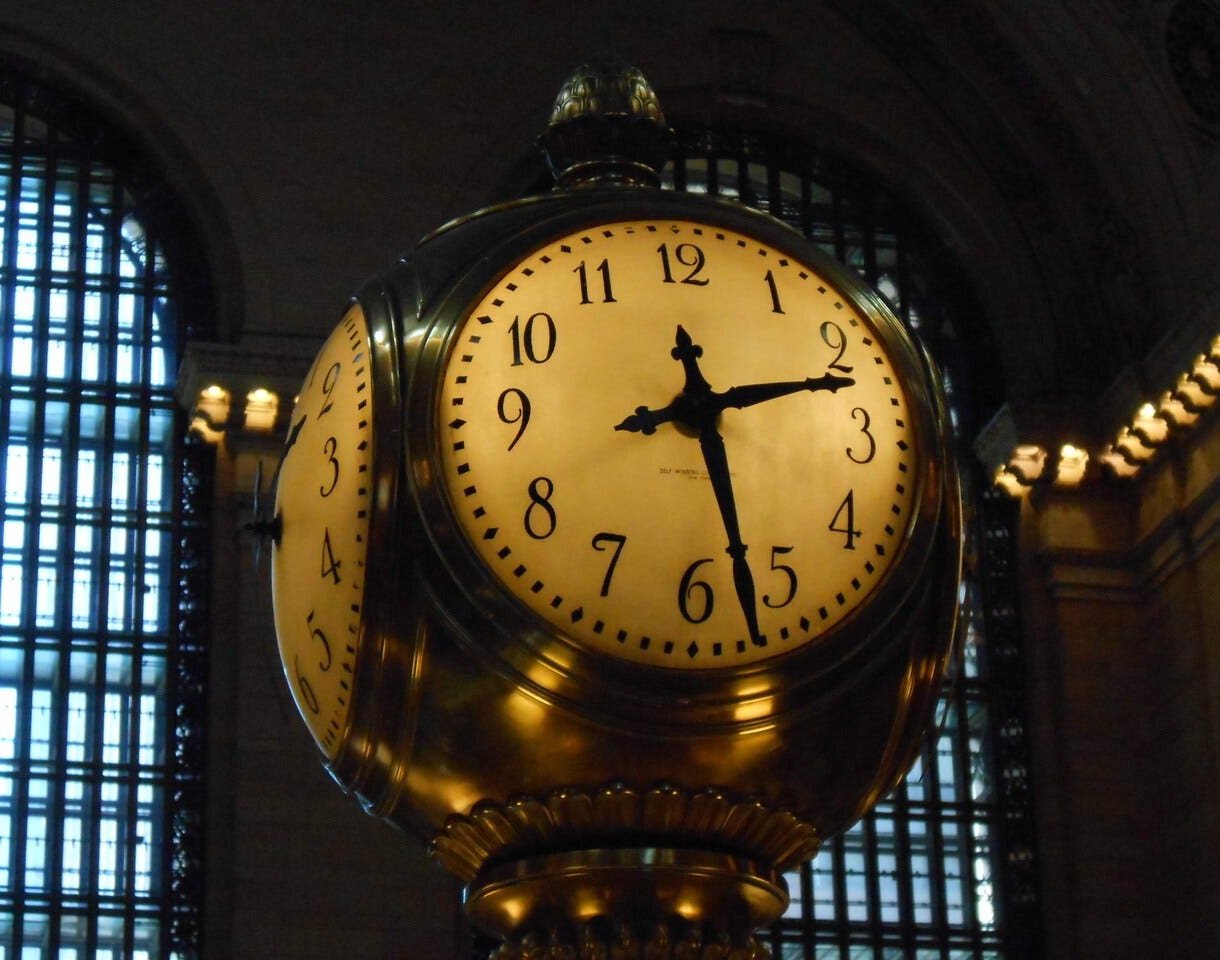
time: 2:27
